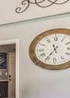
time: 11:35
